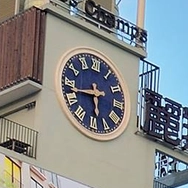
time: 5:42
